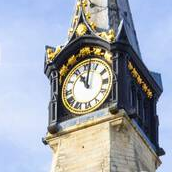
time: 11:01
